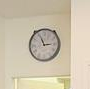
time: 2:56
